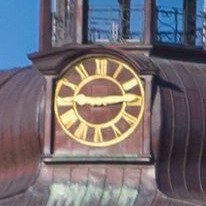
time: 9:13
